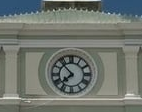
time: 7:52
